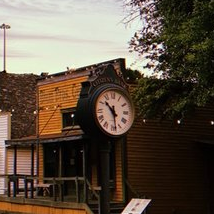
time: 10:28
